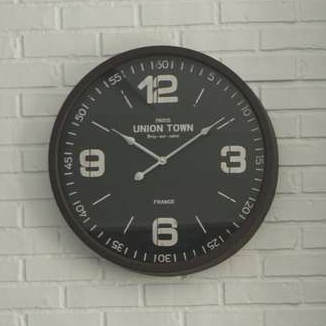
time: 3:50
